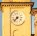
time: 7:37
